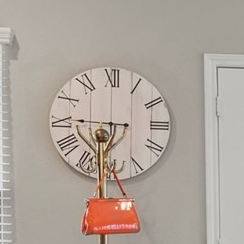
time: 6:45
